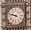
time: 9:47
